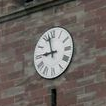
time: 8:57
